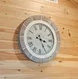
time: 3:25
